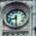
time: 8:29
